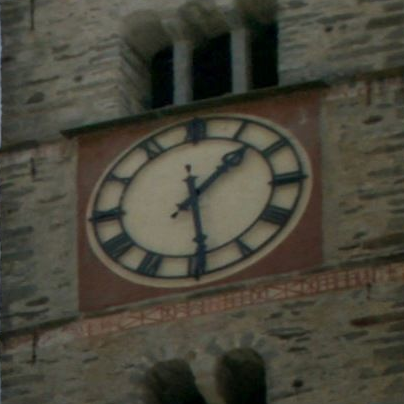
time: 1:29
